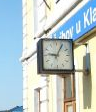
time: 9:05
